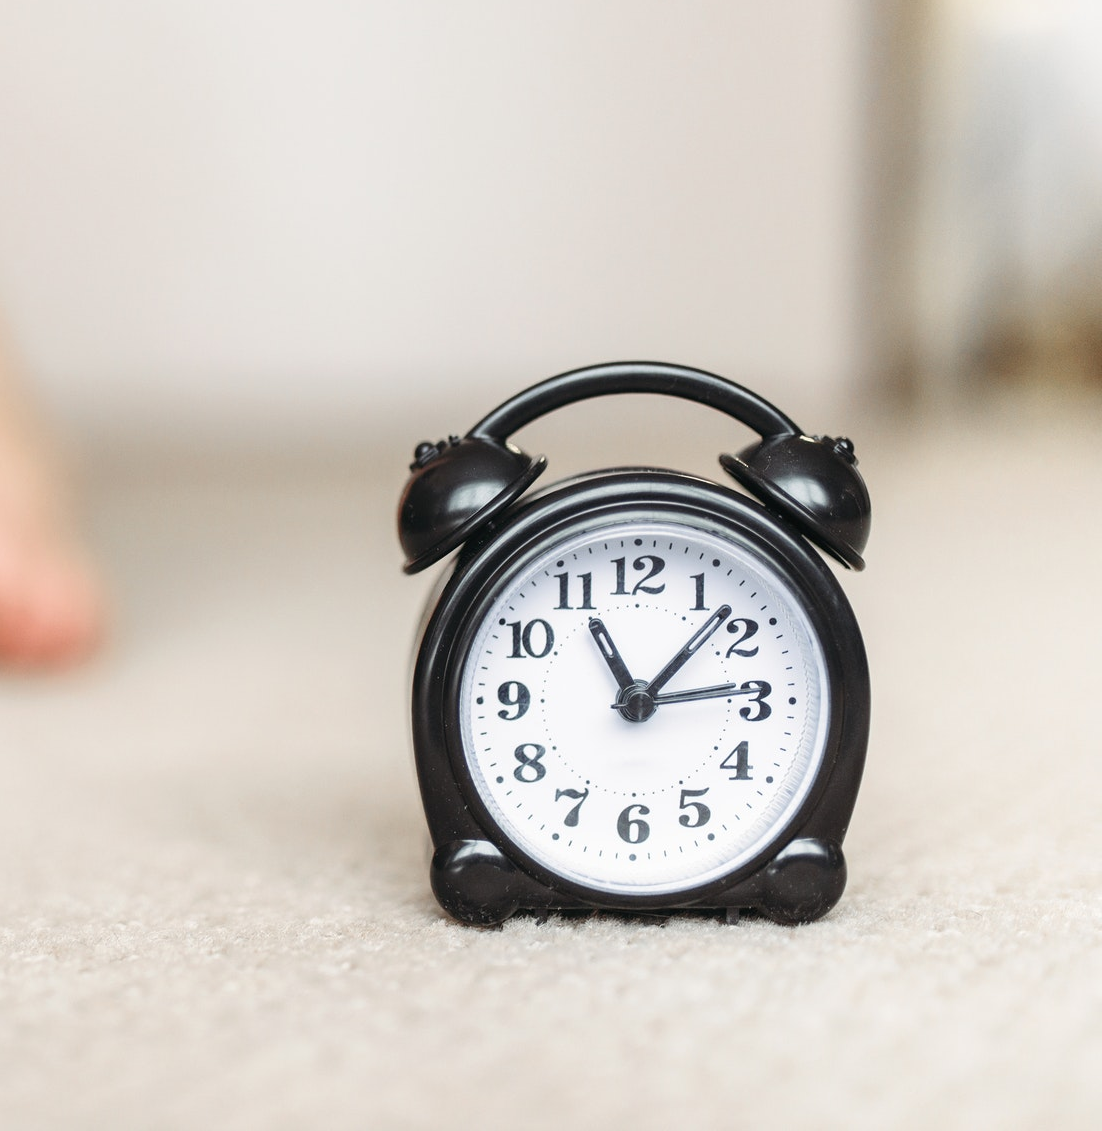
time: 11:07
